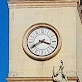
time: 3:39
